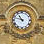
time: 10:47
